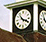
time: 10:18
